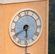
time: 5:40
